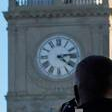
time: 4:13
